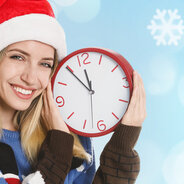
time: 11:54
